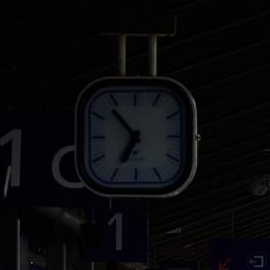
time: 6:53
